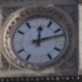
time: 12:12
